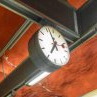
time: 6:56
